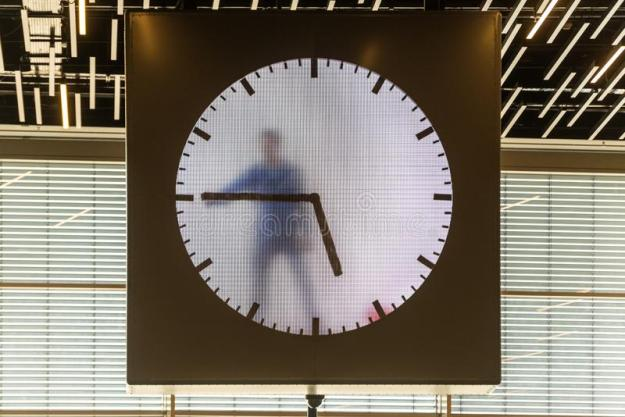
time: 5:45
